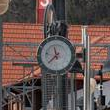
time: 11:37
